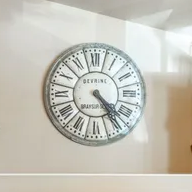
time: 4:23
